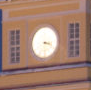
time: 3:29
